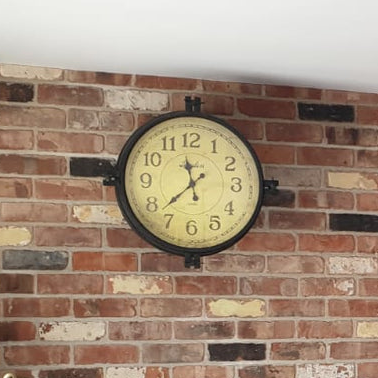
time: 11:37
